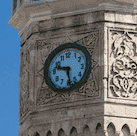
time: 9:28
